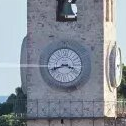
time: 3:40
